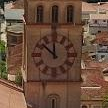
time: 11:52
